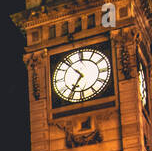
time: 10:35
